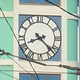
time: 8:22
